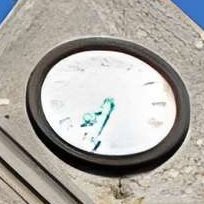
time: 7:34
